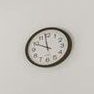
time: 11:49
